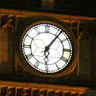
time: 6:06
